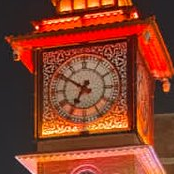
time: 6:50
